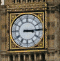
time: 3:14
